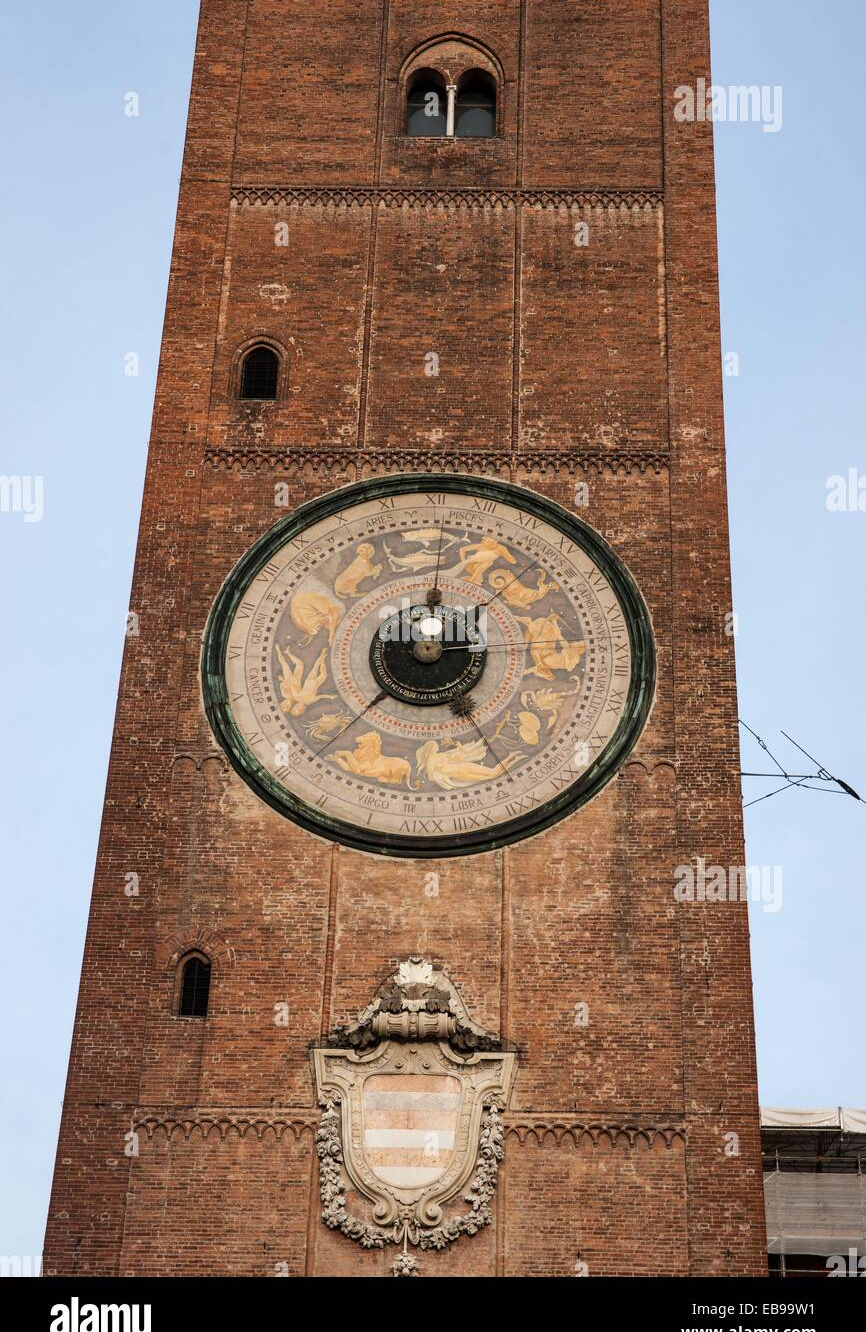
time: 12:37
